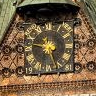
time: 9:26
